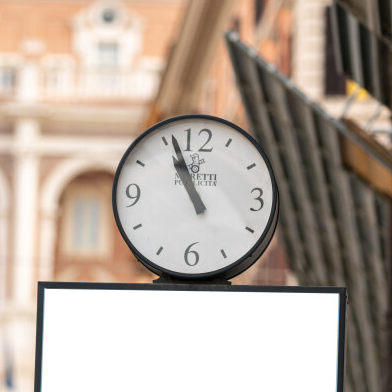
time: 10:56
